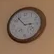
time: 2:53
